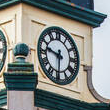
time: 9:30
